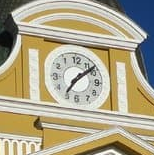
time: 7:08
